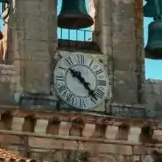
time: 10:23
